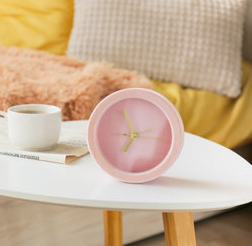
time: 6:56
